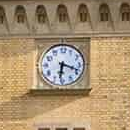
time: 6:18
